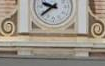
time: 9:38
